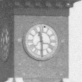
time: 11:29
